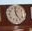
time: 4:59
